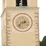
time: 2:38
